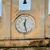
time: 12:27
